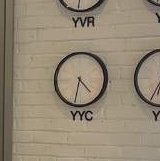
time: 4:31
